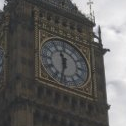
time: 11:32
